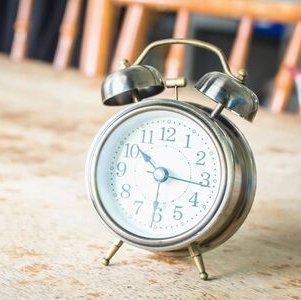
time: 10:16
